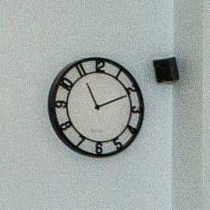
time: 11:10
